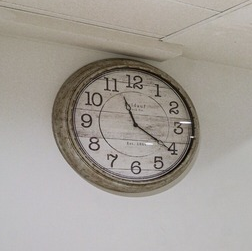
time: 11:20
